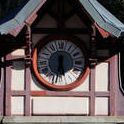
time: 5:31
